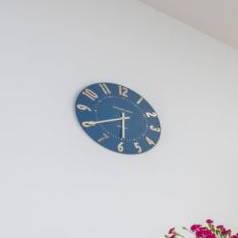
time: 5:40
